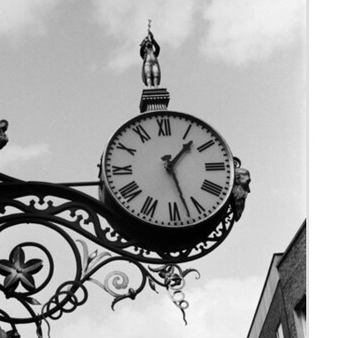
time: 1:27
